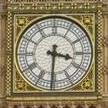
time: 3:30
